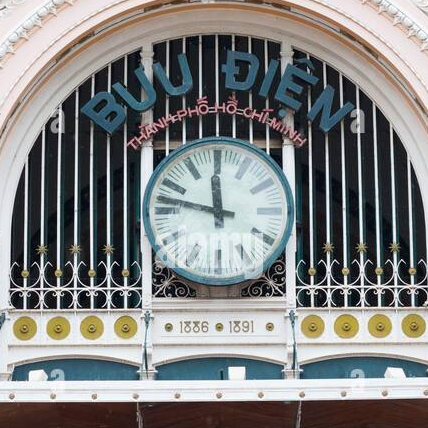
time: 11:47
